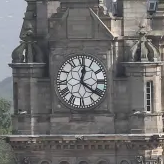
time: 12:21
